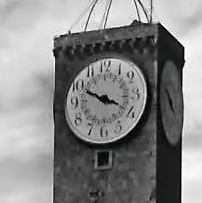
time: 3:49
